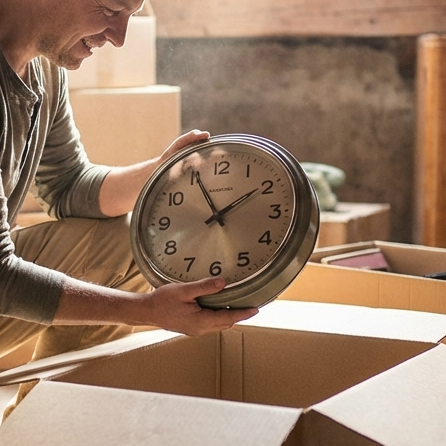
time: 1:55
